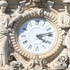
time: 4:13
